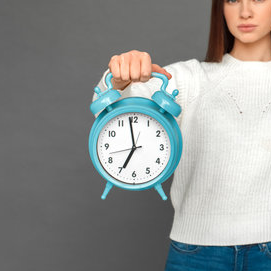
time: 6:58
